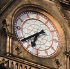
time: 6:39
